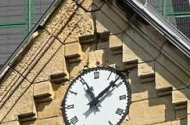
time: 11:08
